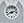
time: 8:12
